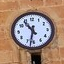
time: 10:32
